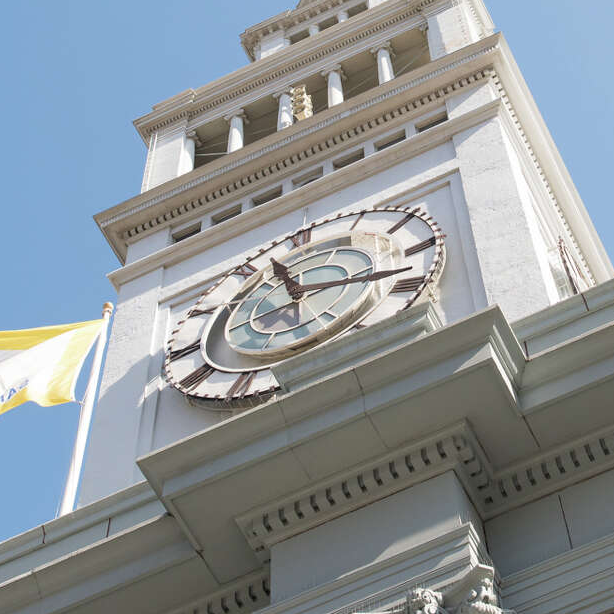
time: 11:18
